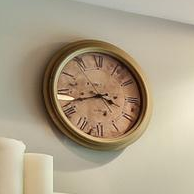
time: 3:42
